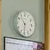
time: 10:31
